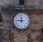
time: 11:46
